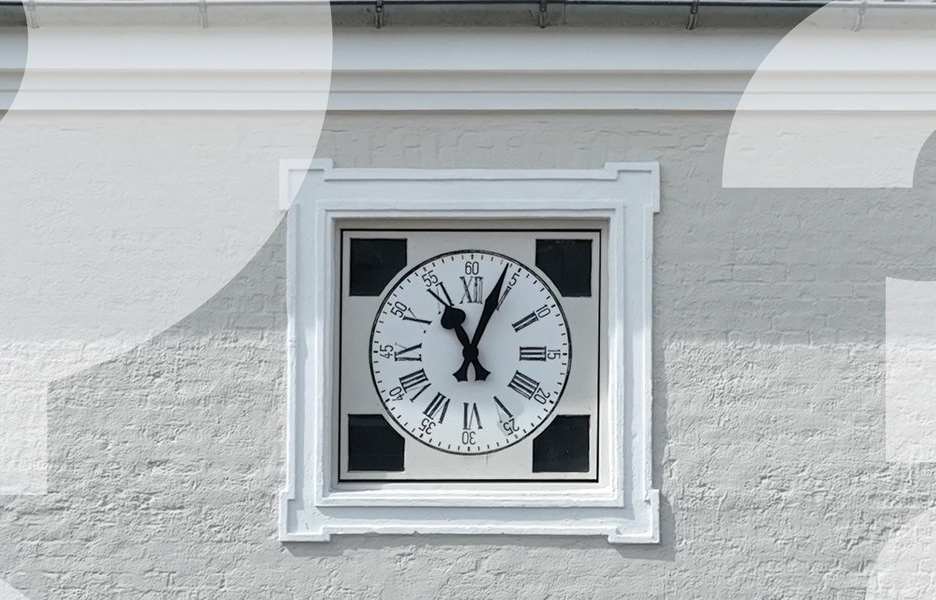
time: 11:04
